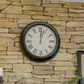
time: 12:03
